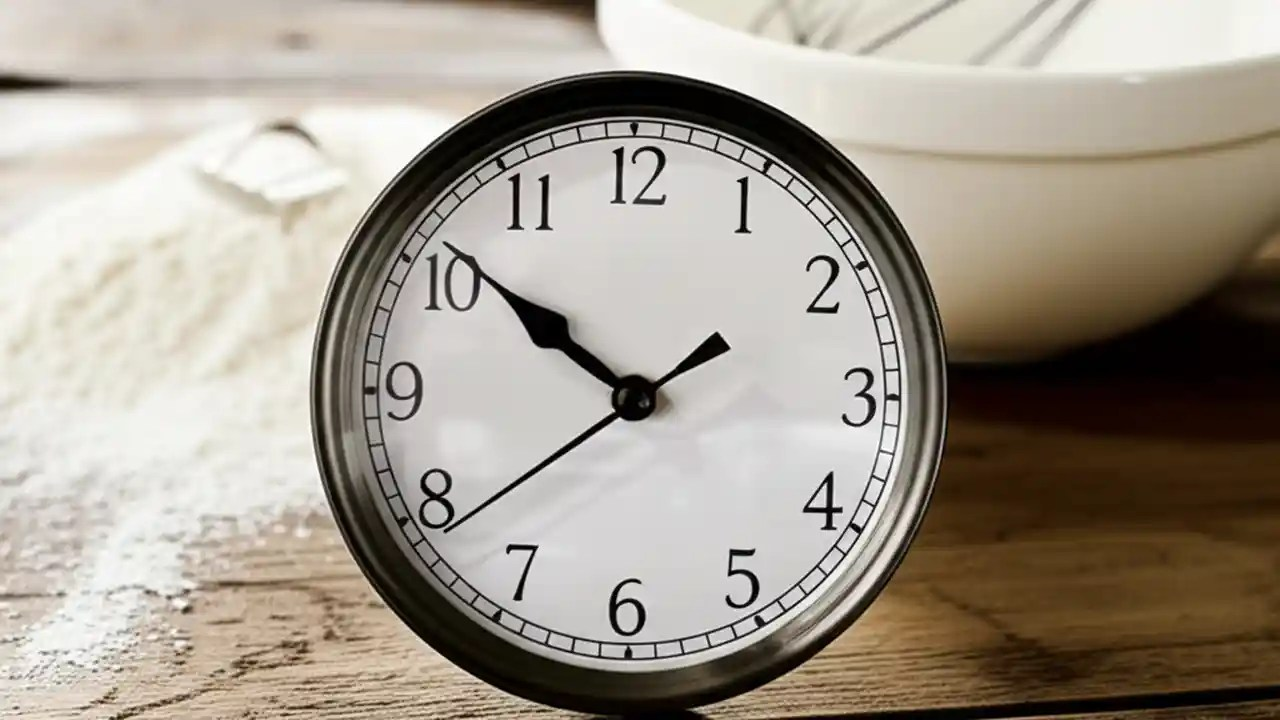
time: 1:51
